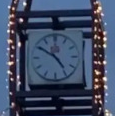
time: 4:50
